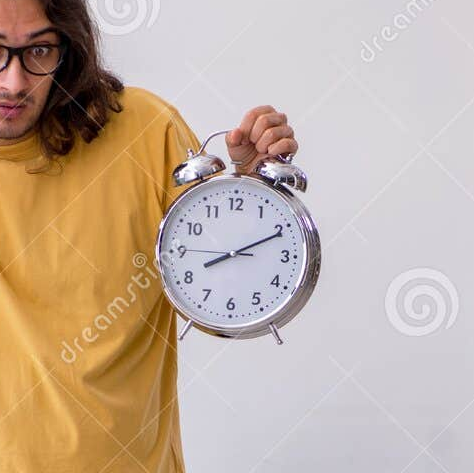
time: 8:10
